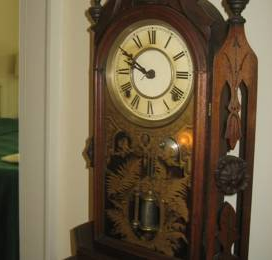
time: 9:50
